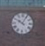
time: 10:04
